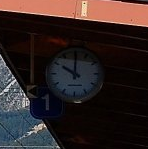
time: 10:00
